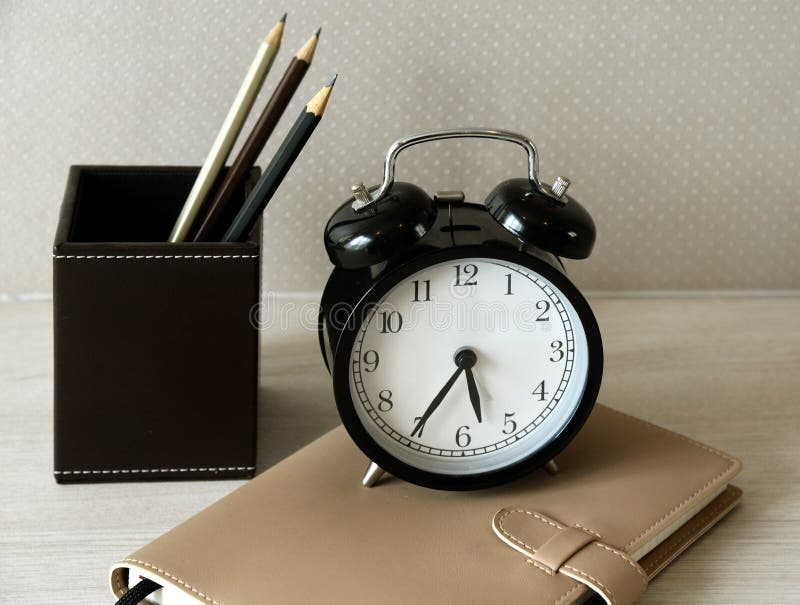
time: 5:35
